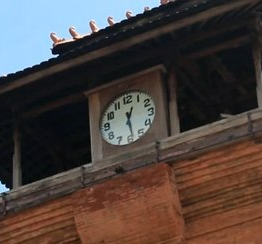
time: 12:28
